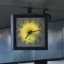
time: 7:13
